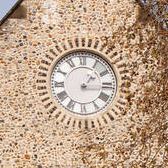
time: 1:16
